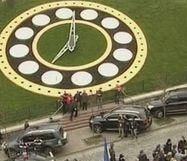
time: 6:59
